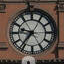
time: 9:36
